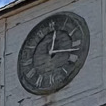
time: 12:16
